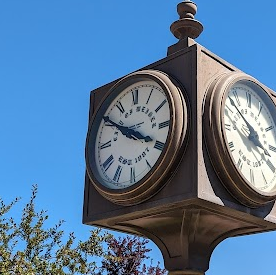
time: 3:50
